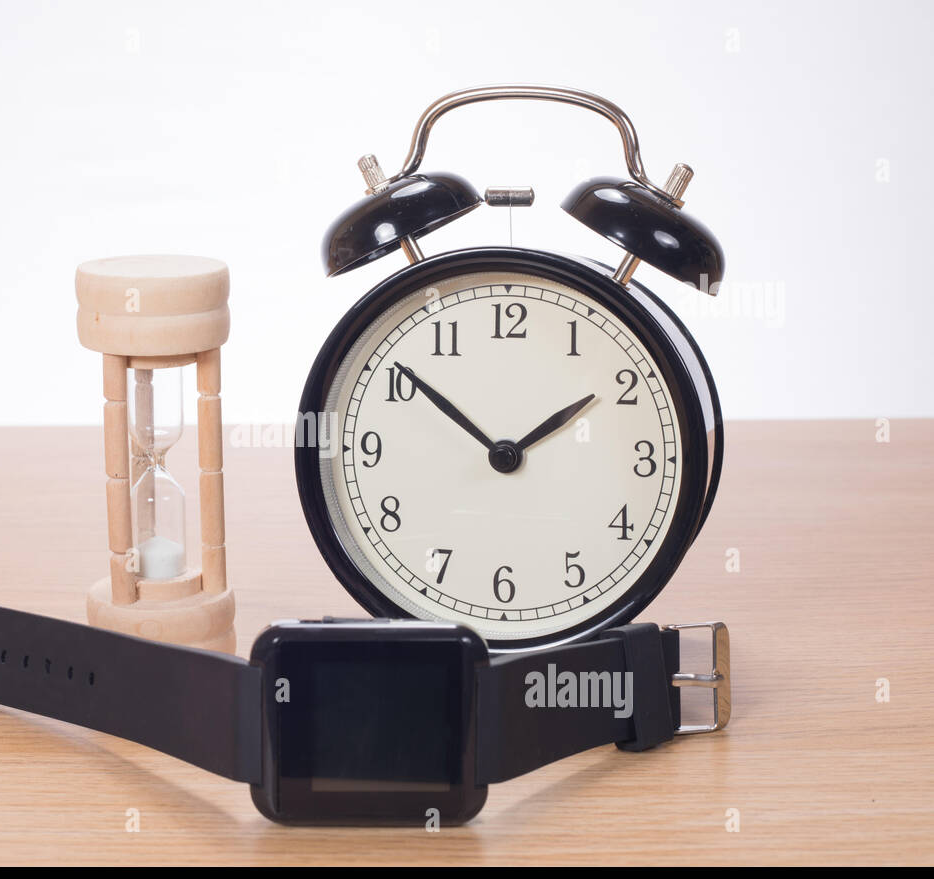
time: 1:51
